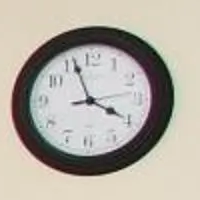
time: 3:56
